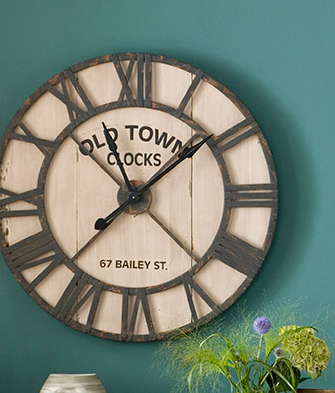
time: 11:08
